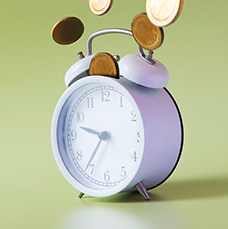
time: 9:36
